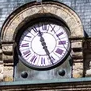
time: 11:25
